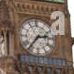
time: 2:36
